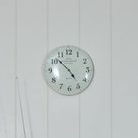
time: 4:52
